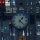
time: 1:22
